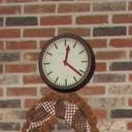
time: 12:21
